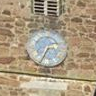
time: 2:34
